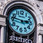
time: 2:46
